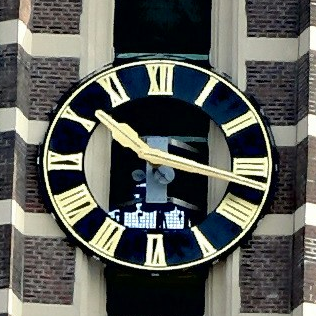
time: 10:17
